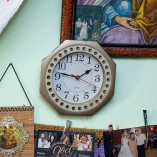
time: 1:46
